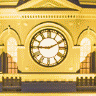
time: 9:10
